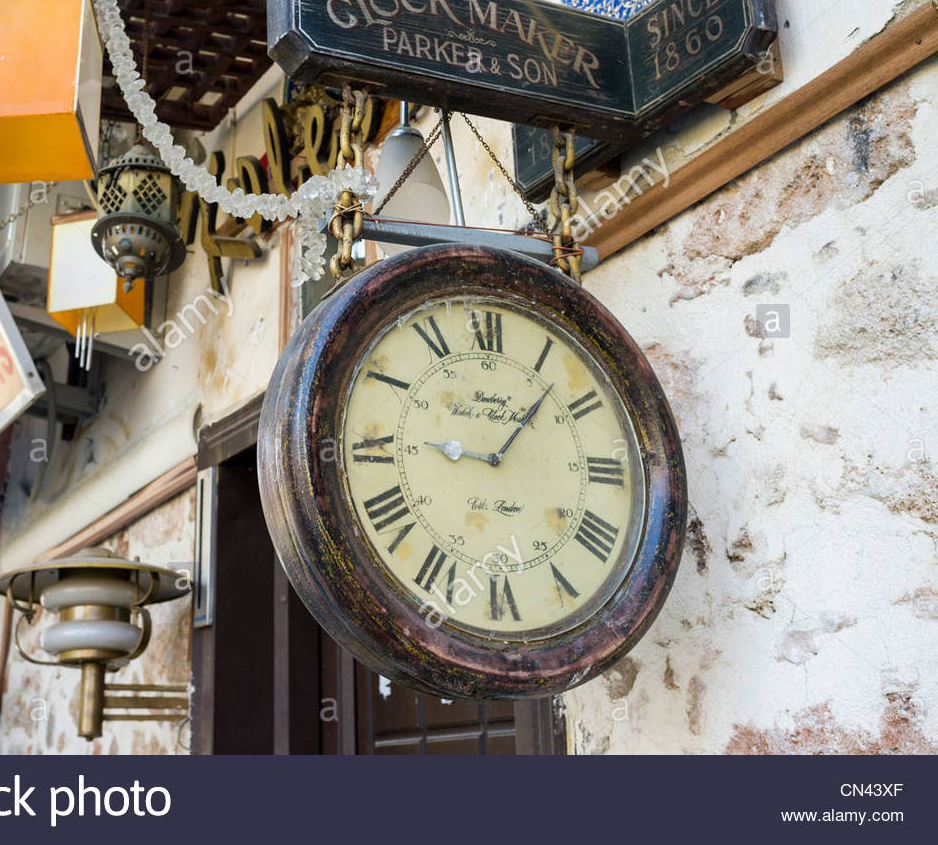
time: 9:07
